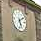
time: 5:08
